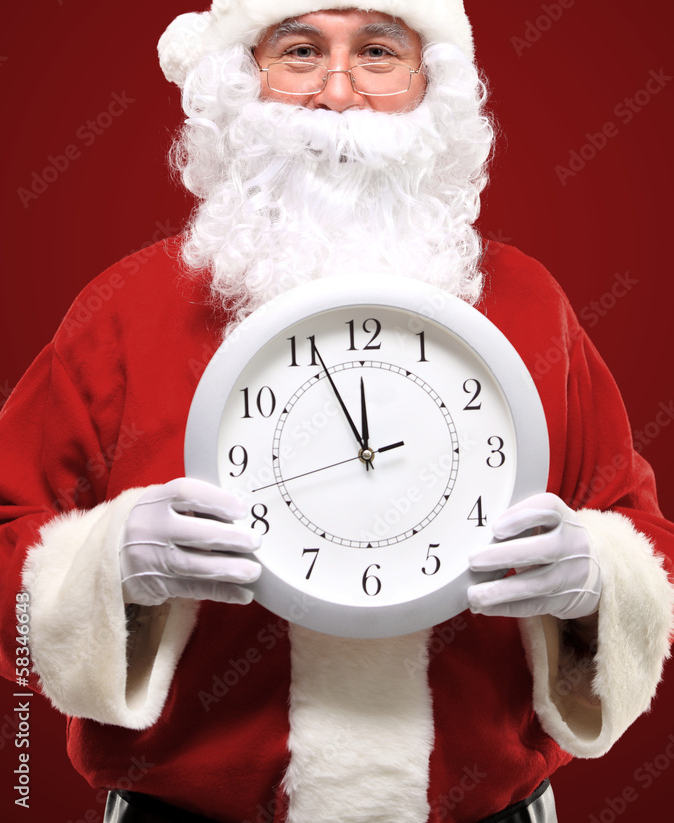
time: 11:55
